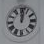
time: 12:02
